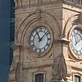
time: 11:07
